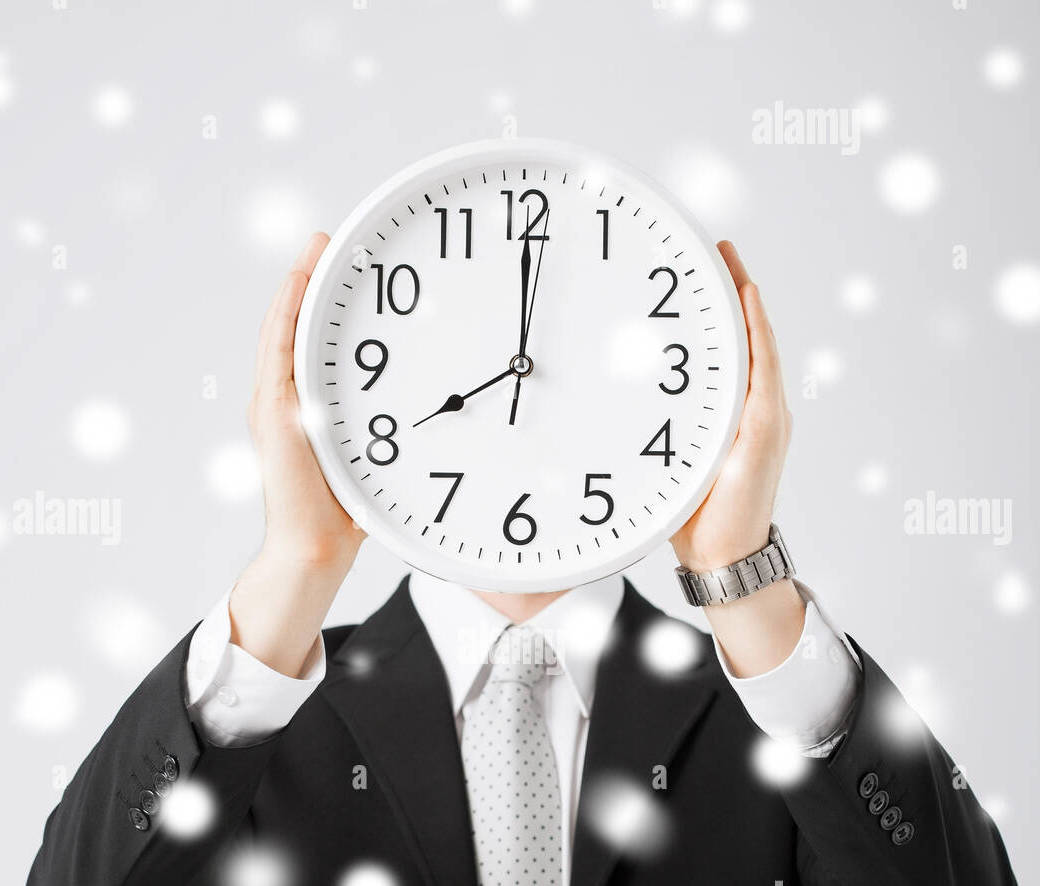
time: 8:00
